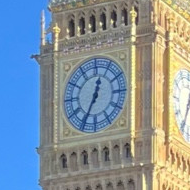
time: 12:34
